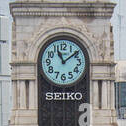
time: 11:08
